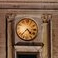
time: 4:37
